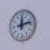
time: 12:12
